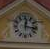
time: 12:16
